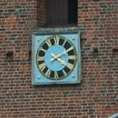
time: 4:09
